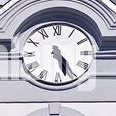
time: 5:24
